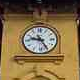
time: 9:25
